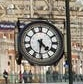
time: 4:31
